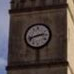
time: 2:42
